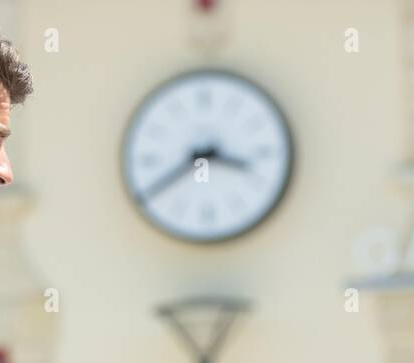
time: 3:39
